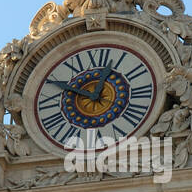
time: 12:49
